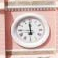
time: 5:59
